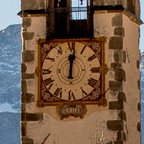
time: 12:01
